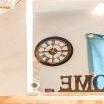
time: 9:14
